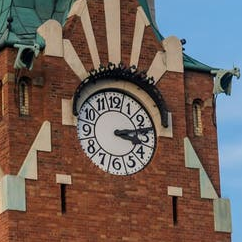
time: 3:13
